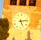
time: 5:12
